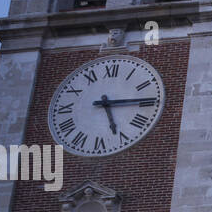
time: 5:14
